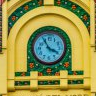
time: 3:54
